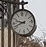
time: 9:42
